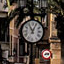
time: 11:04
